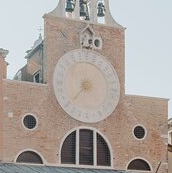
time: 7:37
